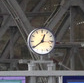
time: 12:39
